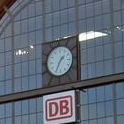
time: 1:34
